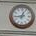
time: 12:43
